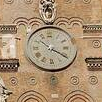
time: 10:20
